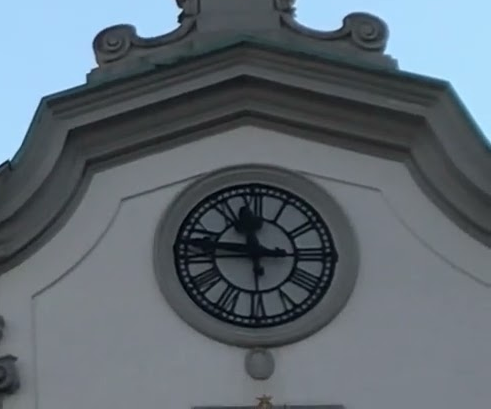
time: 11:46
